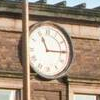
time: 11:14
